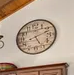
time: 5:11
